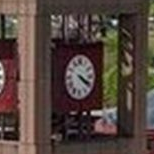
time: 4:20
